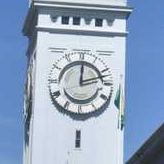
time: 12:12
